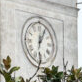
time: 12:04
